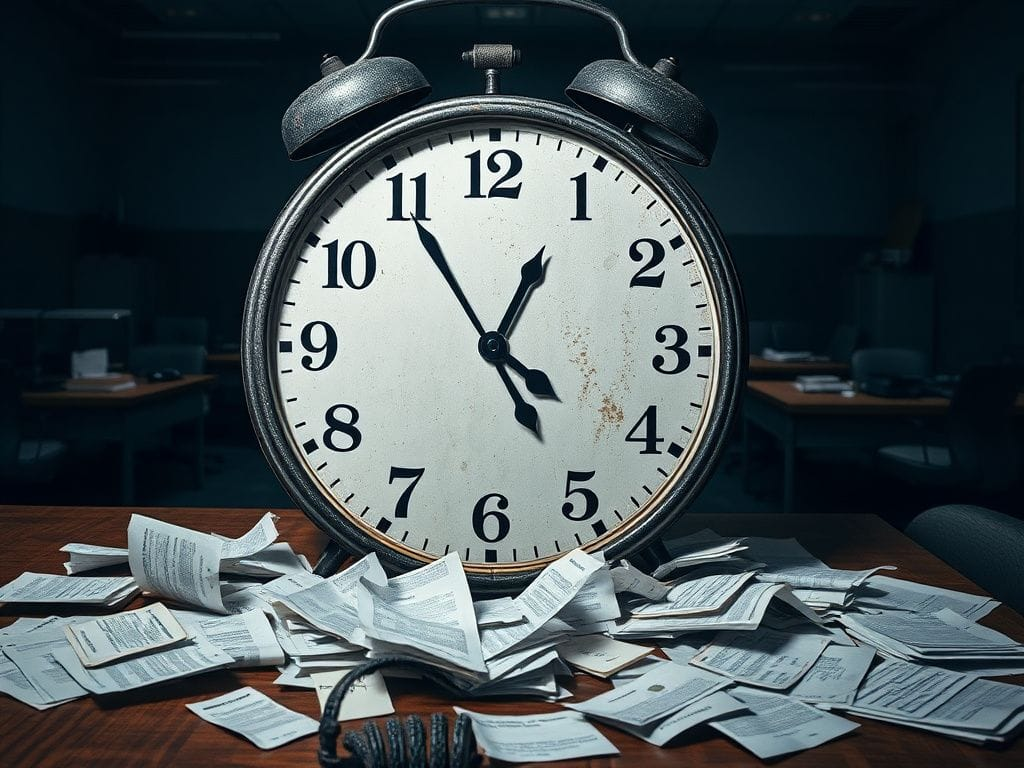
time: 12:54
